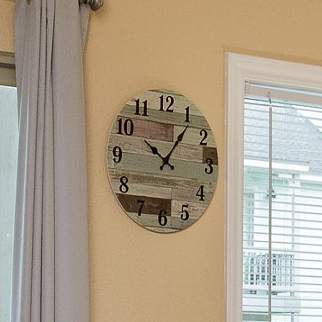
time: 10:06
